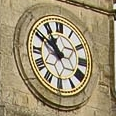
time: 10:50
